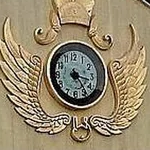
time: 3:24
